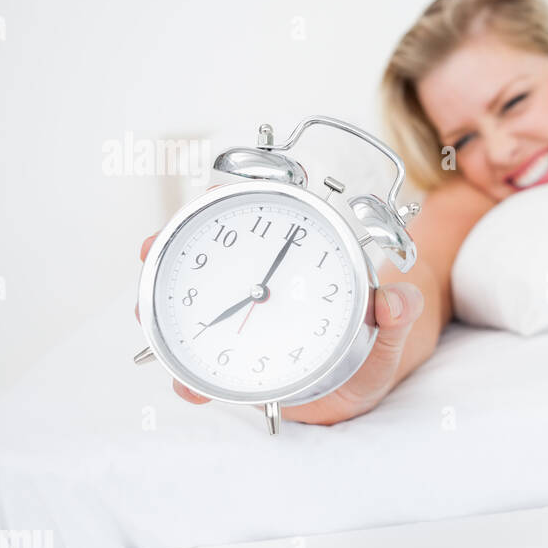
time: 8:05
